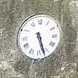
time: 5:26
